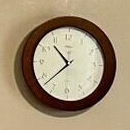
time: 10:37
